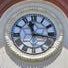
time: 11:16
